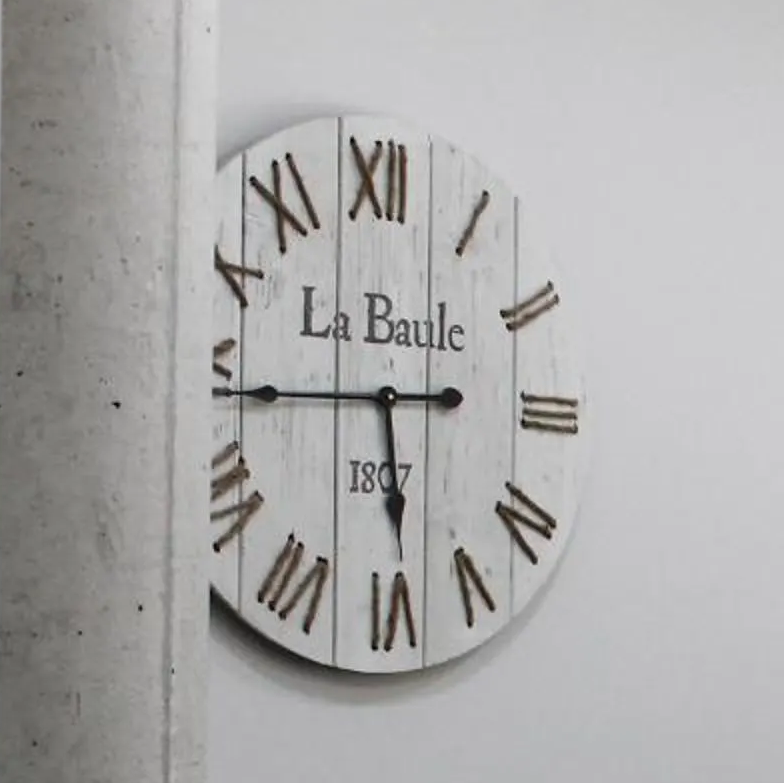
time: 5:44
